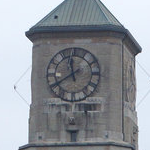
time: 11:40
